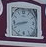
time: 8:42
